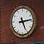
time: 5:13
